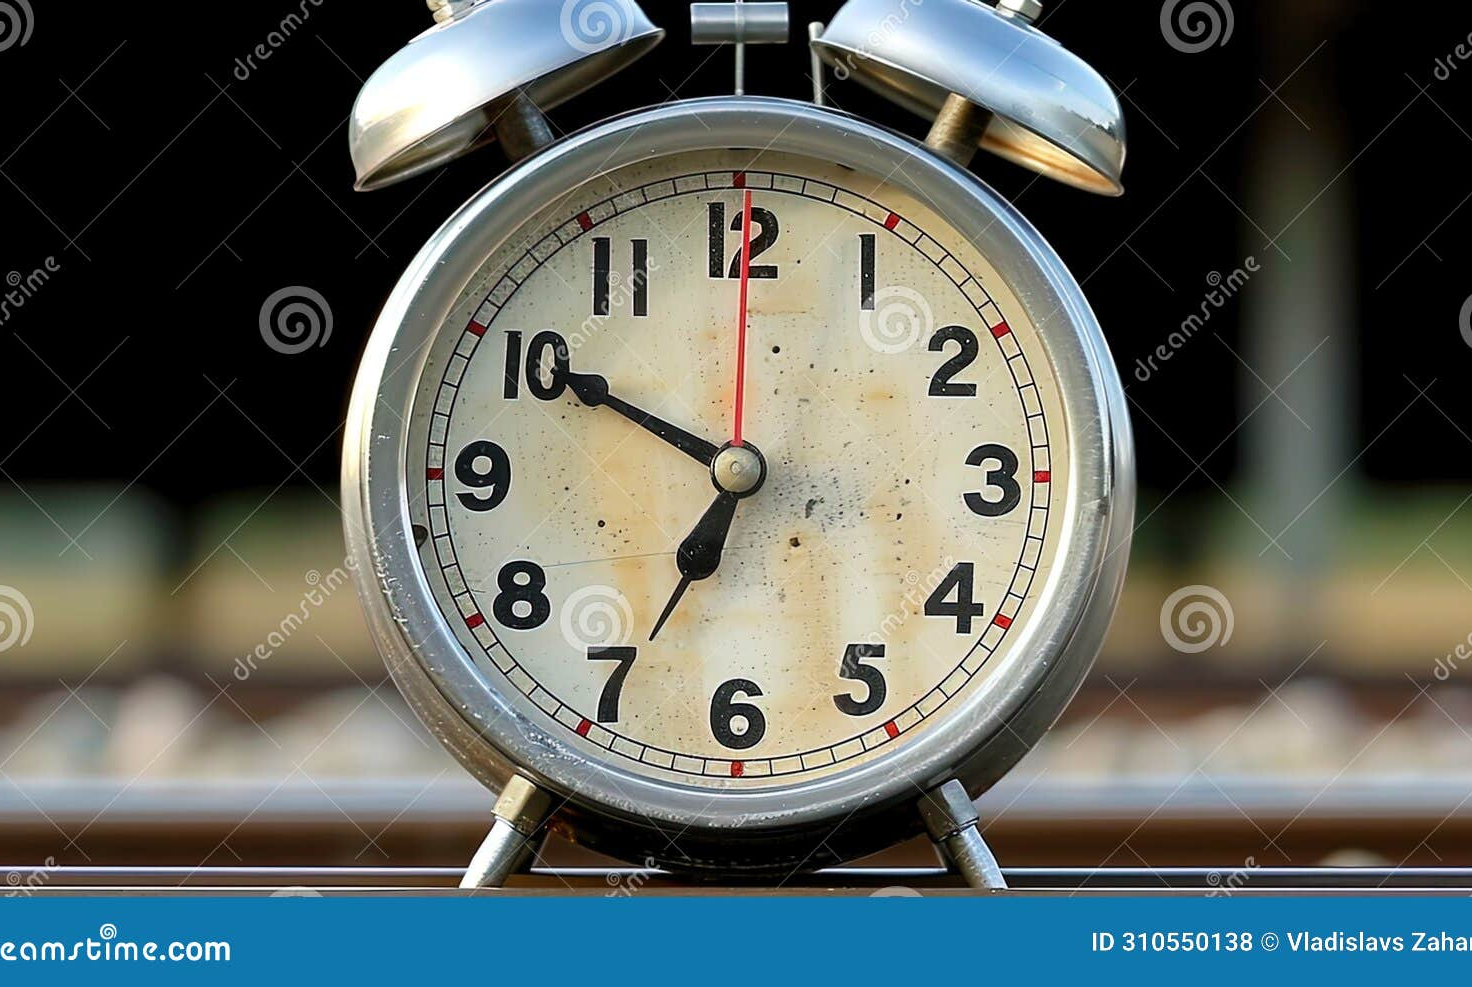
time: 6:50
